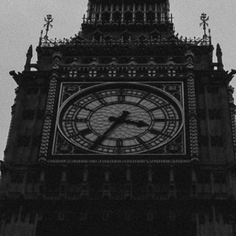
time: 3:35
